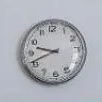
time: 9:41
